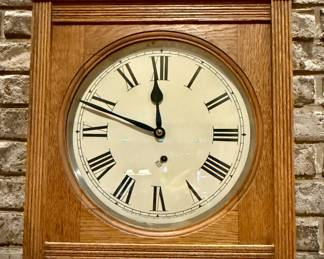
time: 11:48
